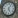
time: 5:05
